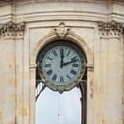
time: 12:11
